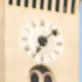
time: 7:08
